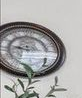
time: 9:14
